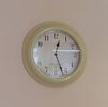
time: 12:26
